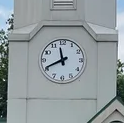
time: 11:41
